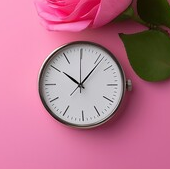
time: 10:06
